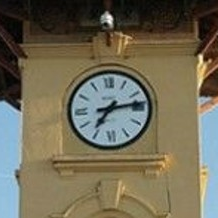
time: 7:13
